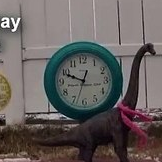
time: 12:48
